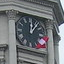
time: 12:05
